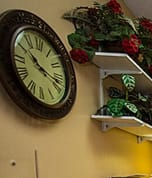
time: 10:17
